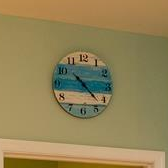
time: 10:22
